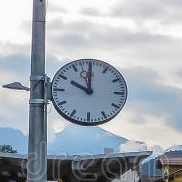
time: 9:59
